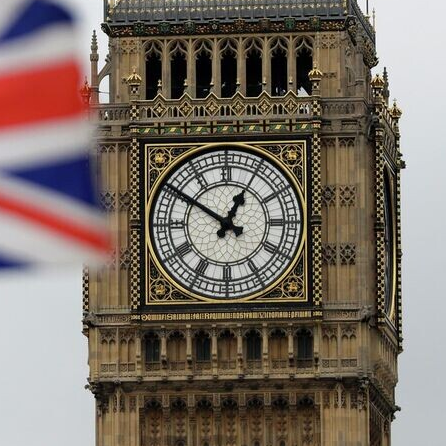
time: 12:50
